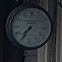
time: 7:35
